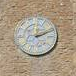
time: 2:11
